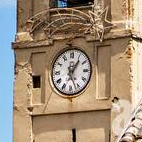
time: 1:26
